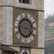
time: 3:47
